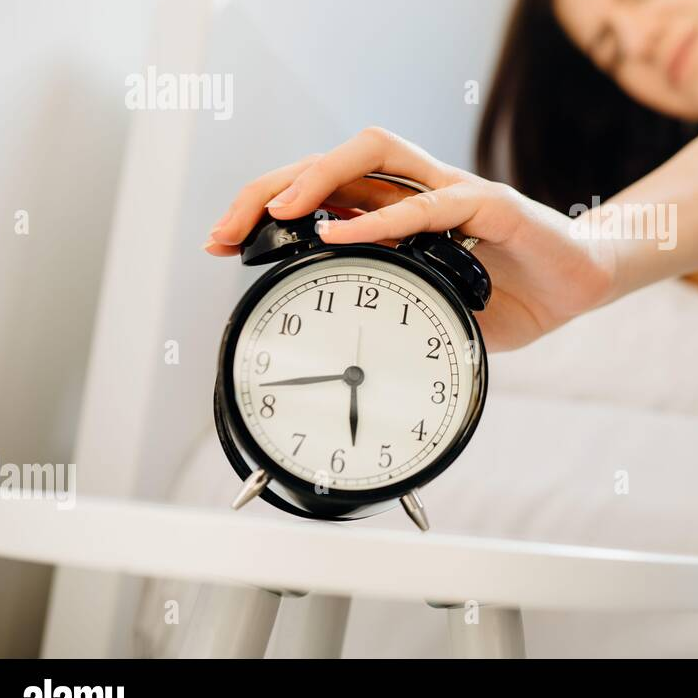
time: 5:42
